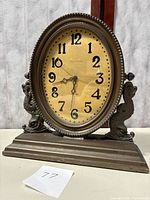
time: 8:31
